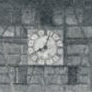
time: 8:03
